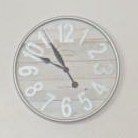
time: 9:55
